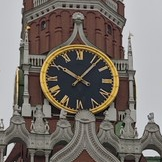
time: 10:06
